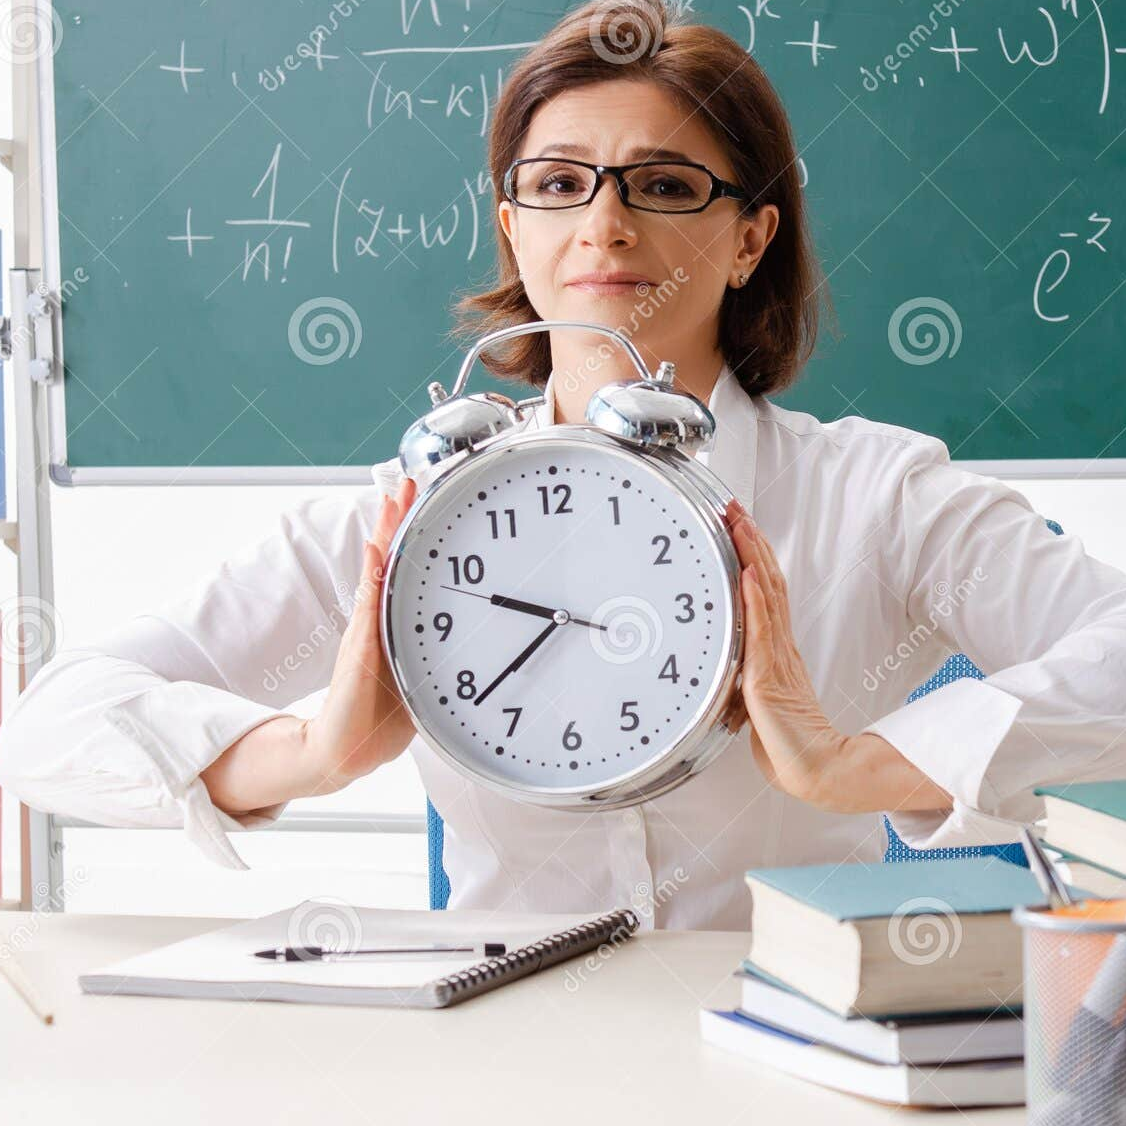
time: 9:38
